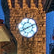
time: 8:11
